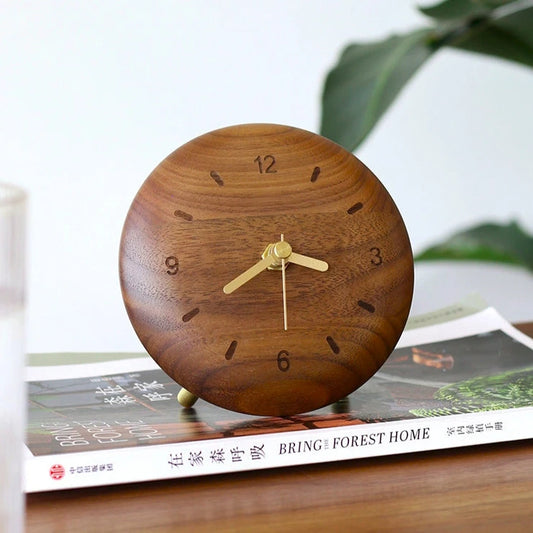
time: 3:39
